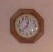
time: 12:37
